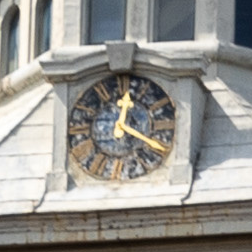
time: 12:19
